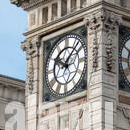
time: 10:07
